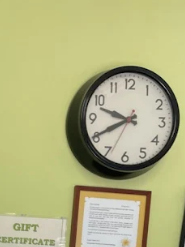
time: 9:40
